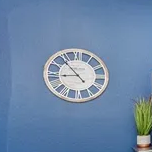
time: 8:53
